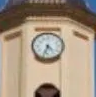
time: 4:33
